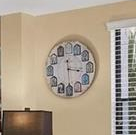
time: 3:29
